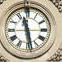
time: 11:28
